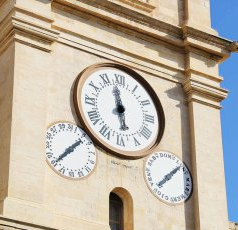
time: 5:58
